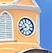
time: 10:41
